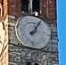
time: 7:04
